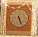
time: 5:26
